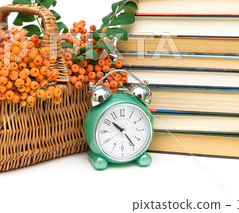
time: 10:23
